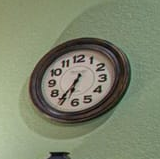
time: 6:35
